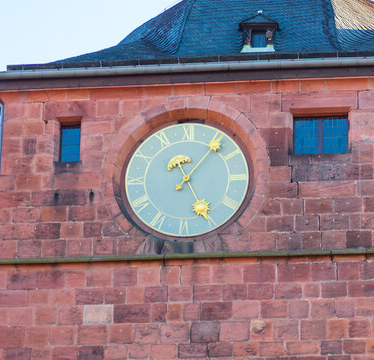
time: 5:06
